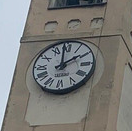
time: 1:59
